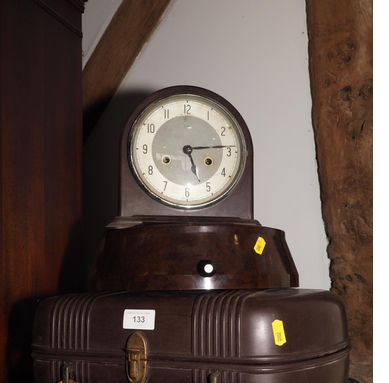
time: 5:14
